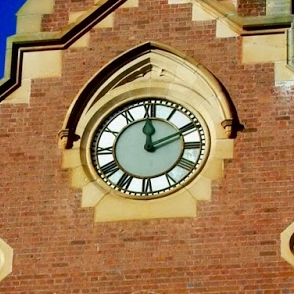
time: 12:10
